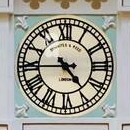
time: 4:44
